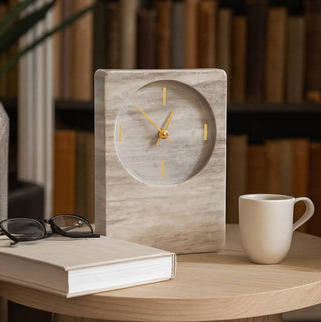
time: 12:52
